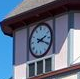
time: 2:19
